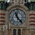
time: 11:23
